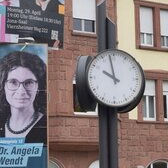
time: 9:58
